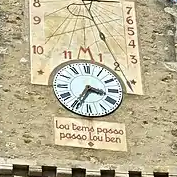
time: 3:34
